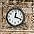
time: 12:18
